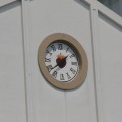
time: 1:38
